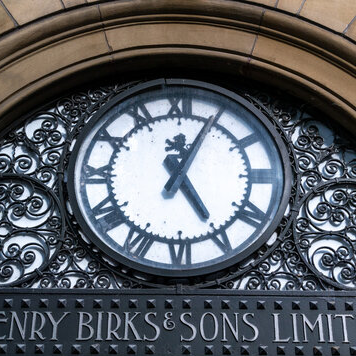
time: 5:04
